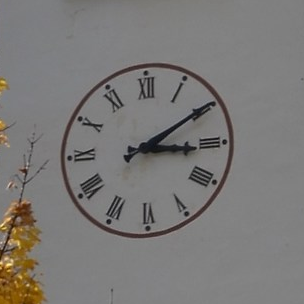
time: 3:09
